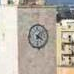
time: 4:07
